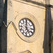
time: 5:00
